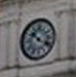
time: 10:19
